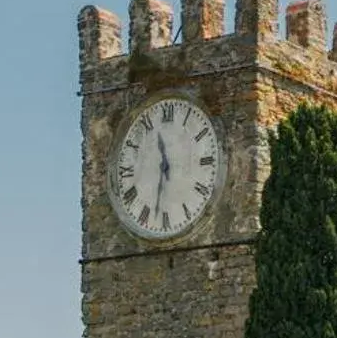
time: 11:32
